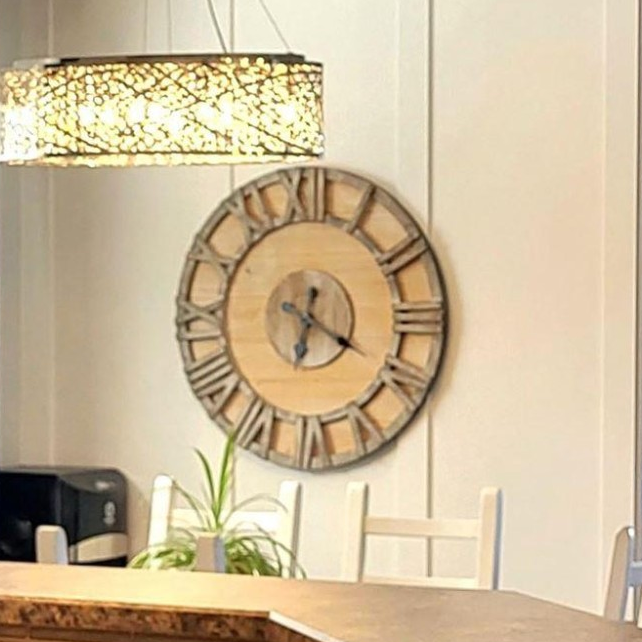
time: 6:19
